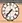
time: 7:37
